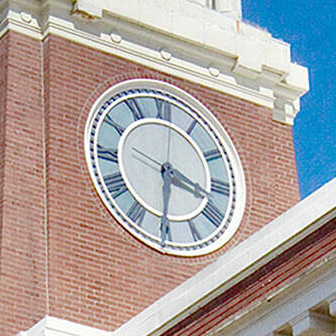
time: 3:30
